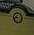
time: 9:42
